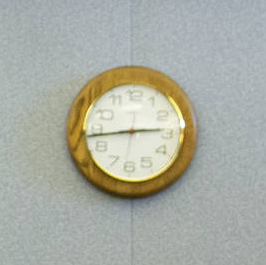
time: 2:43
